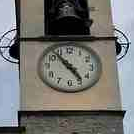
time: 4:53
